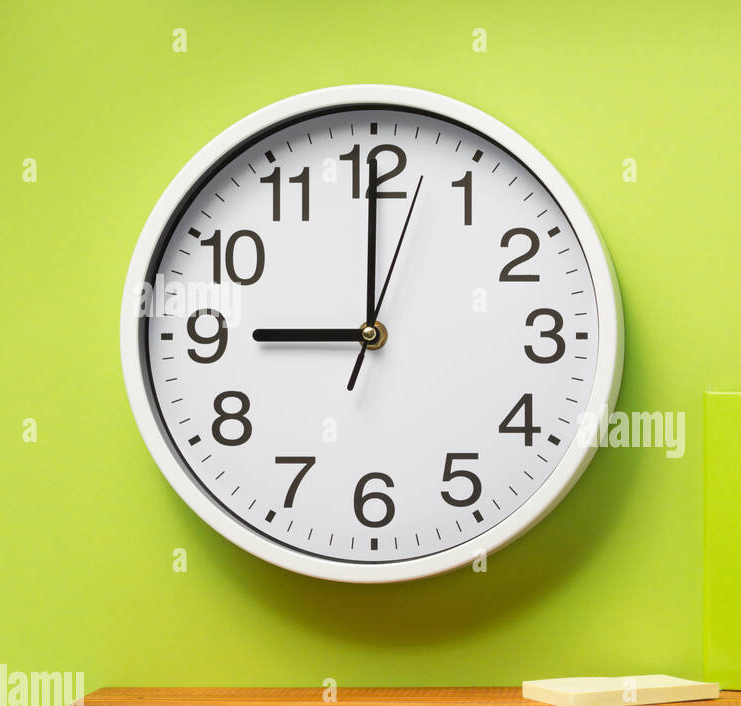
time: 9:00
